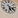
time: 5:18
